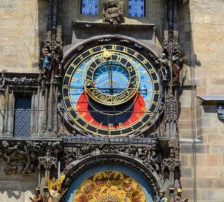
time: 5:59
